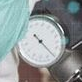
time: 10:21
